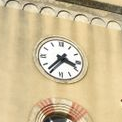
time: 3:36
